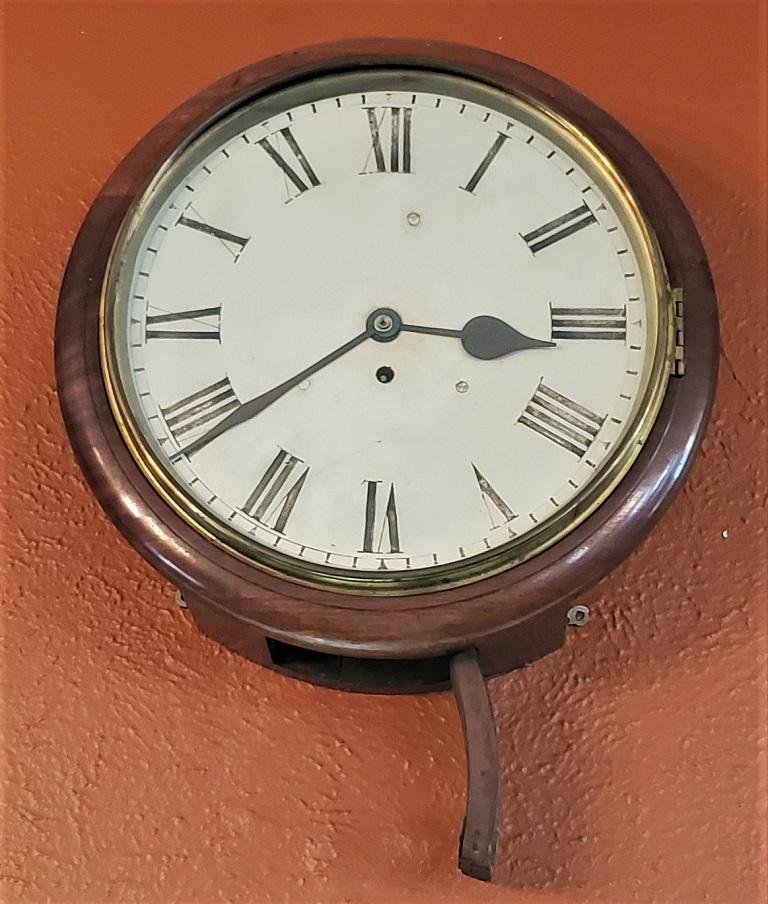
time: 3:15
